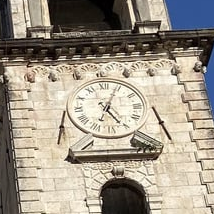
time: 5:04
